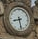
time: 8:27
